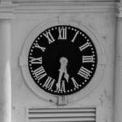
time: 5:31
